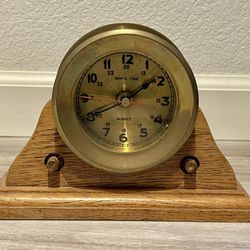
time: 1:40
